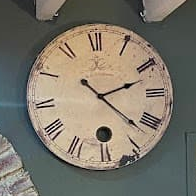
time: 2:21
